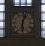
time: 6:03
